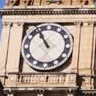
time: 10:55
